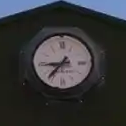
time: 8:36
